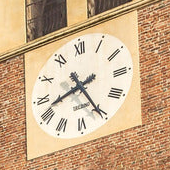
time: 8:25
